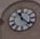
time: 11:22
